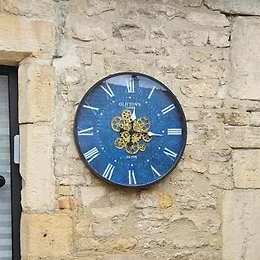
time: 12:16
